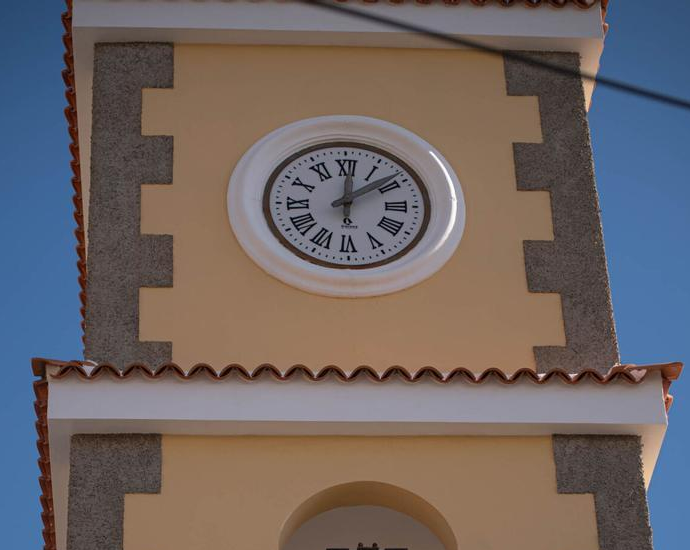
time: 12:08
